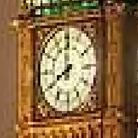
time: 7:59
